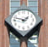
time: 1:47
